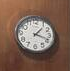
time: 1:18
